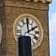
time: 1:59
